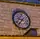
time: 9:36
